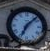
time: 7:07
